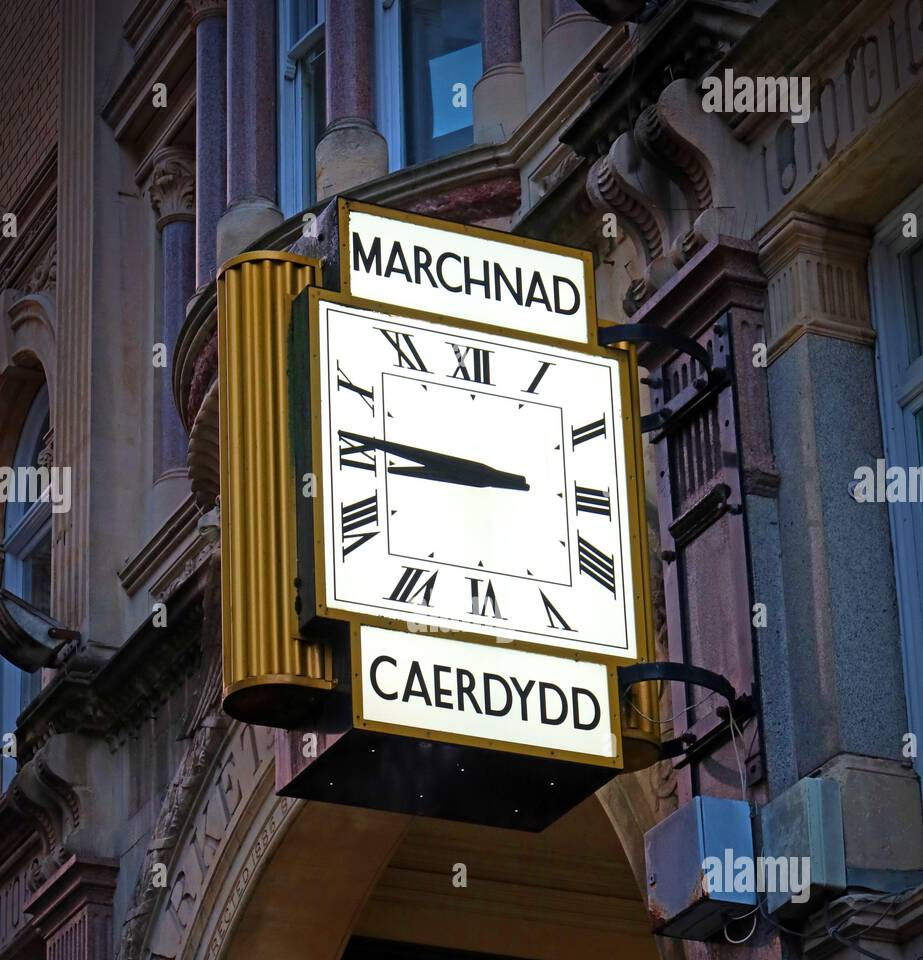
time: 8:46
